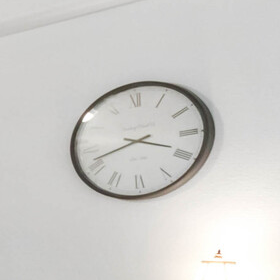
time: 3:41
